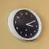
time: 3:10
